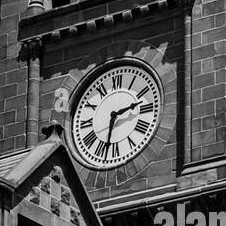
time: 2:32
